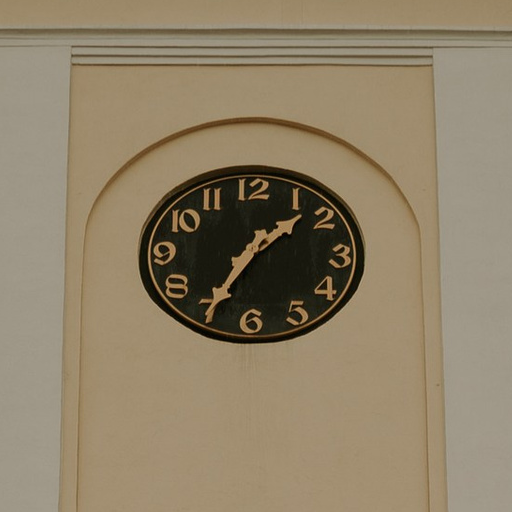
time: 1:34
